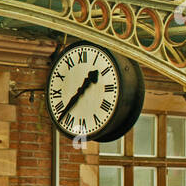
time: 1:37
